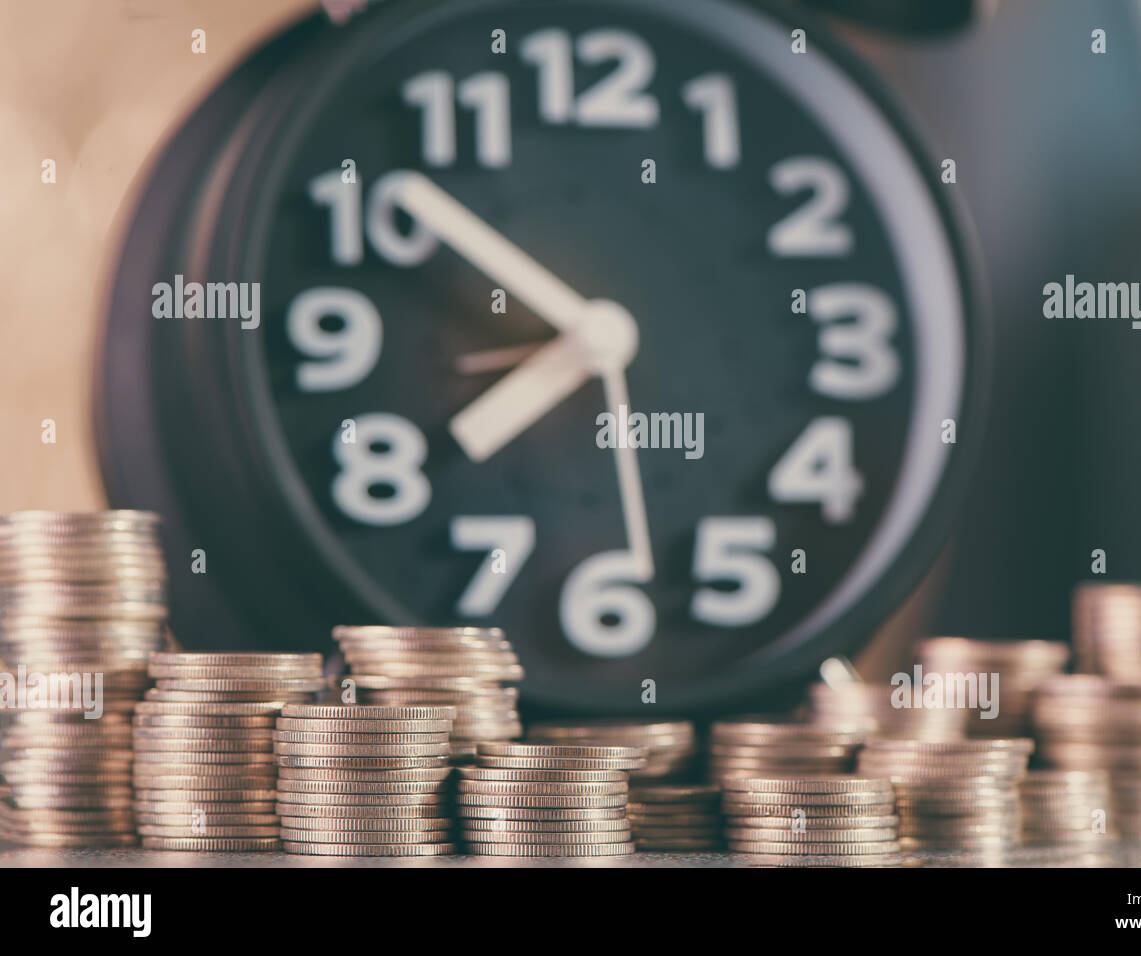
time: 7:51
